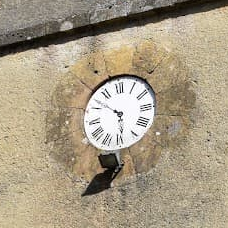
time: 5:51
